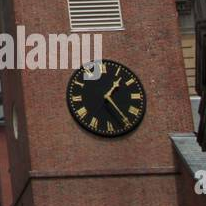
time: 1:24
